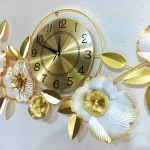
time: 11:48
